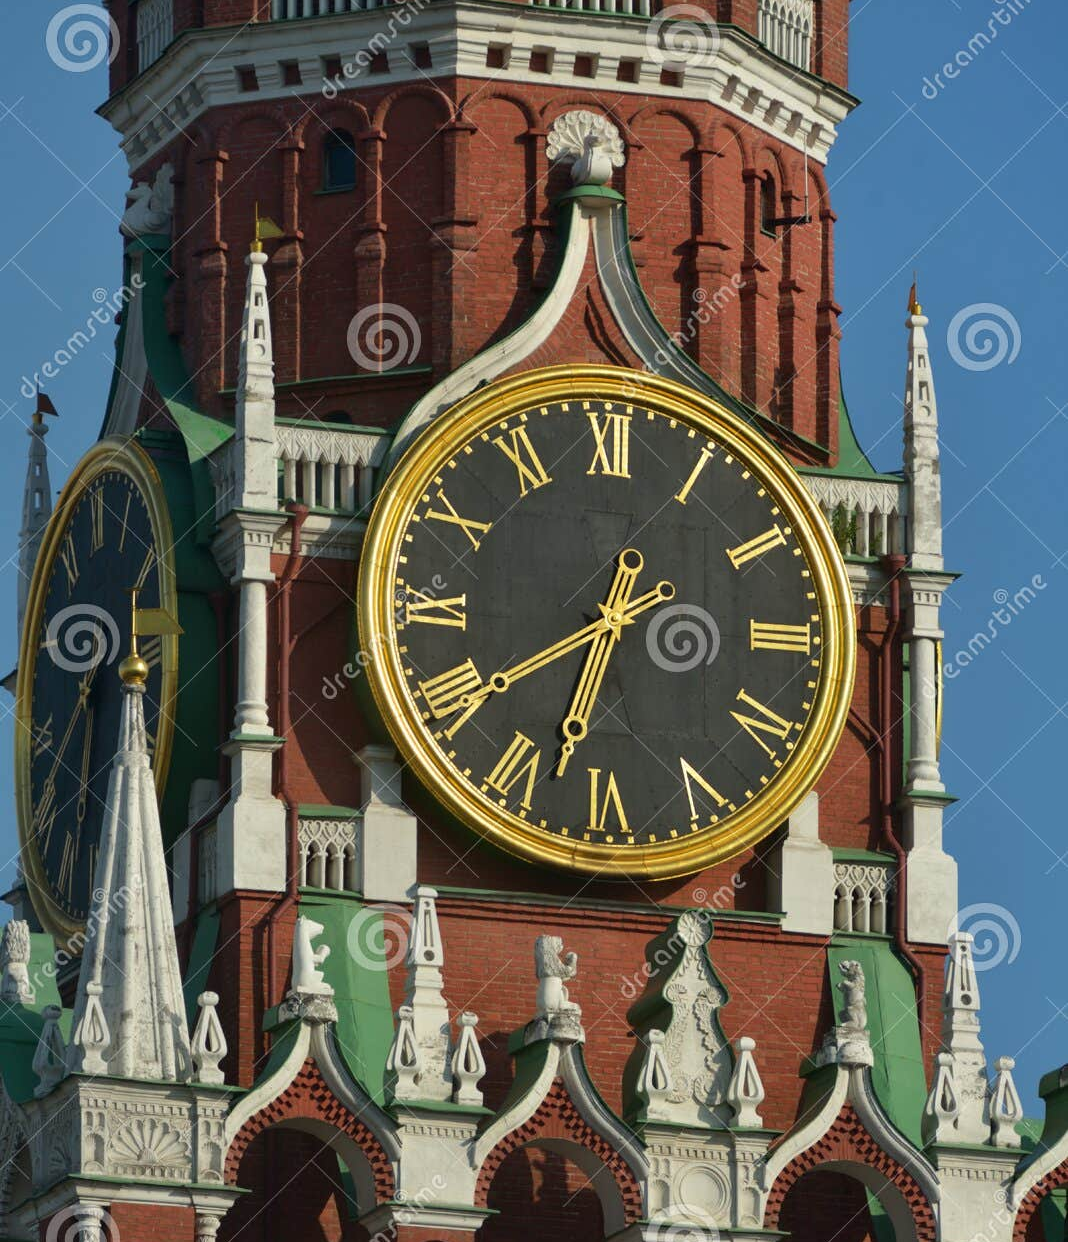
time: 6:39
